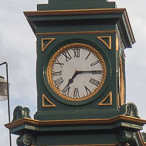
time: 7:14
